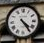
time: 4:24
